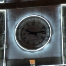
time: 2:49
